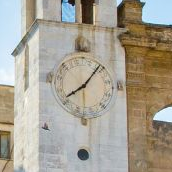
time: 8:07
